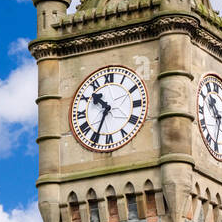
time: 10:34
